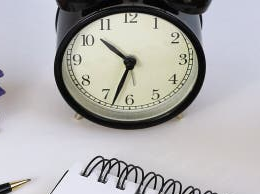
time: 10:32
